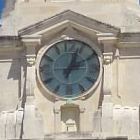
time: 2:03
